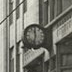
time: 11:32
